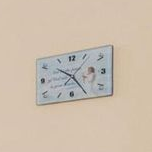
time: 10:24
